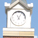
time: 11:05
